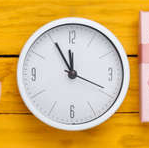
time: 11:55
